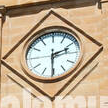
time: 2:30
